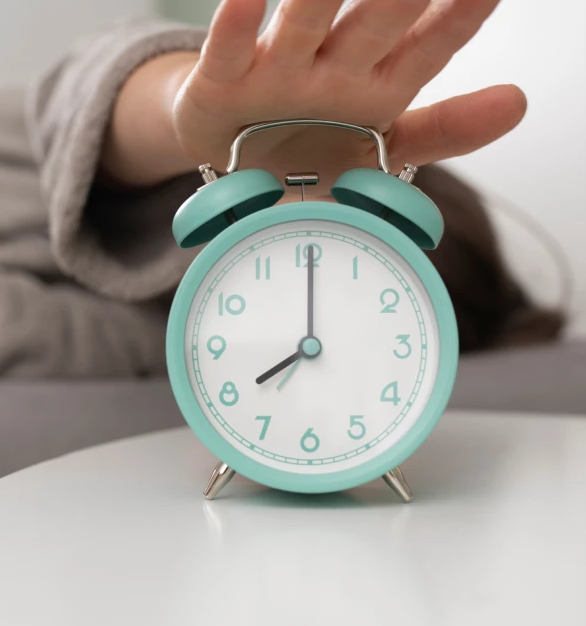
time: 8:00
